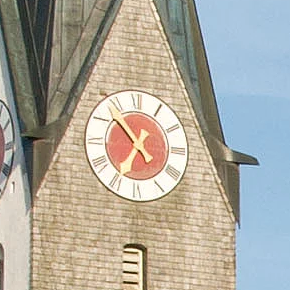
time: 6:52
